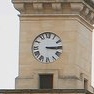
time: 3:14
